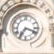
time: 7:18
